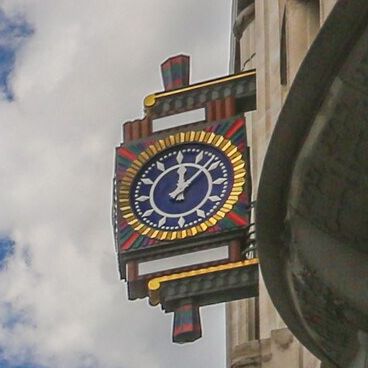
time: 12:08
